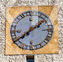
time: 1:38
